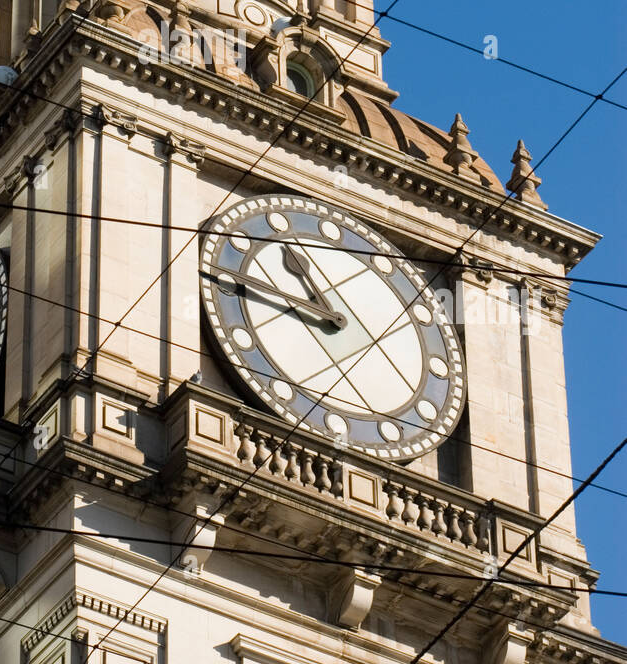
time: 10:45
